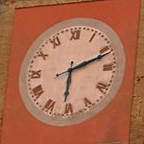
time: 6:11
